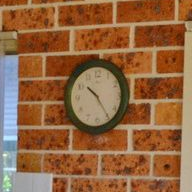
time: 10:24
